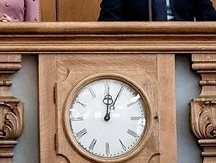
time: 12:04
